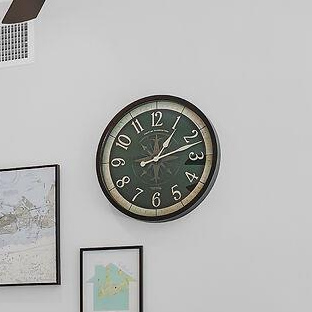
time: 1:11
